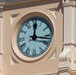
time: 12:16
